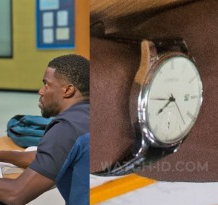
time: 7:45
